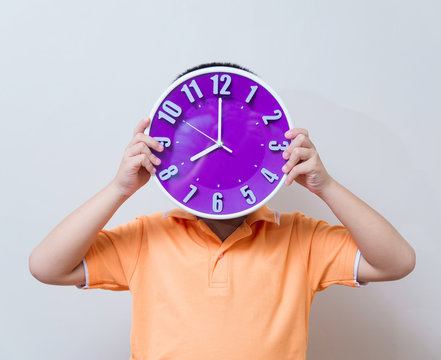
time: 7:59
